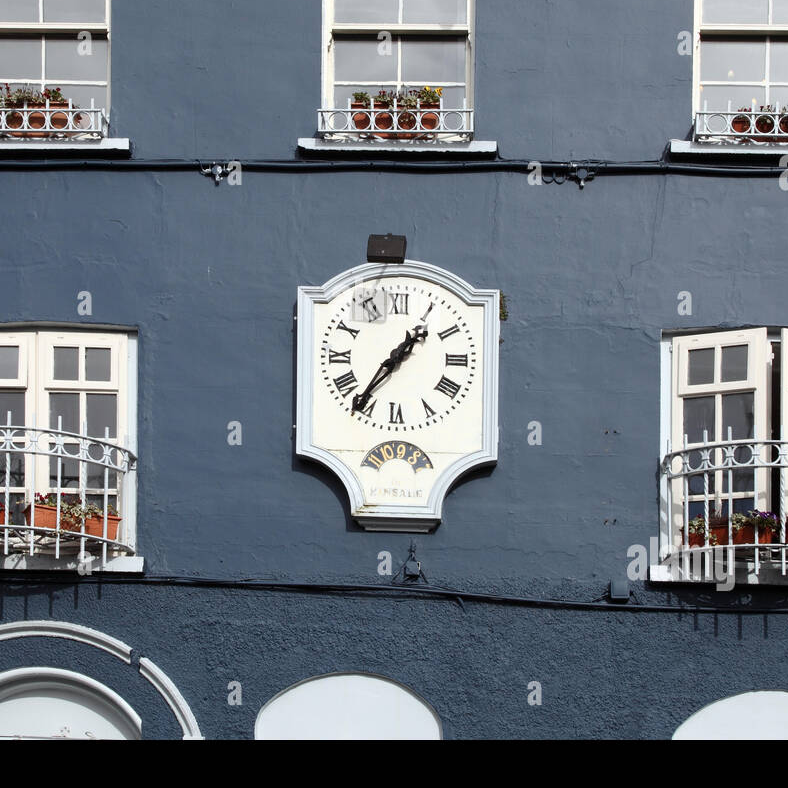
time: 1:36
